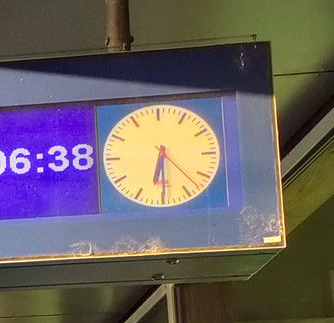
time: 6:30
